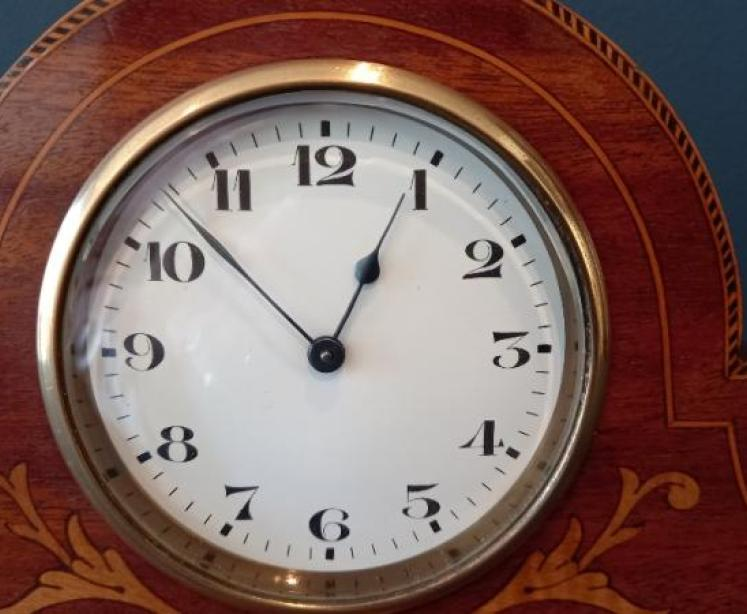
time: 12:52
